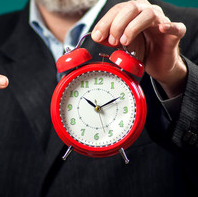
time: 10:10
